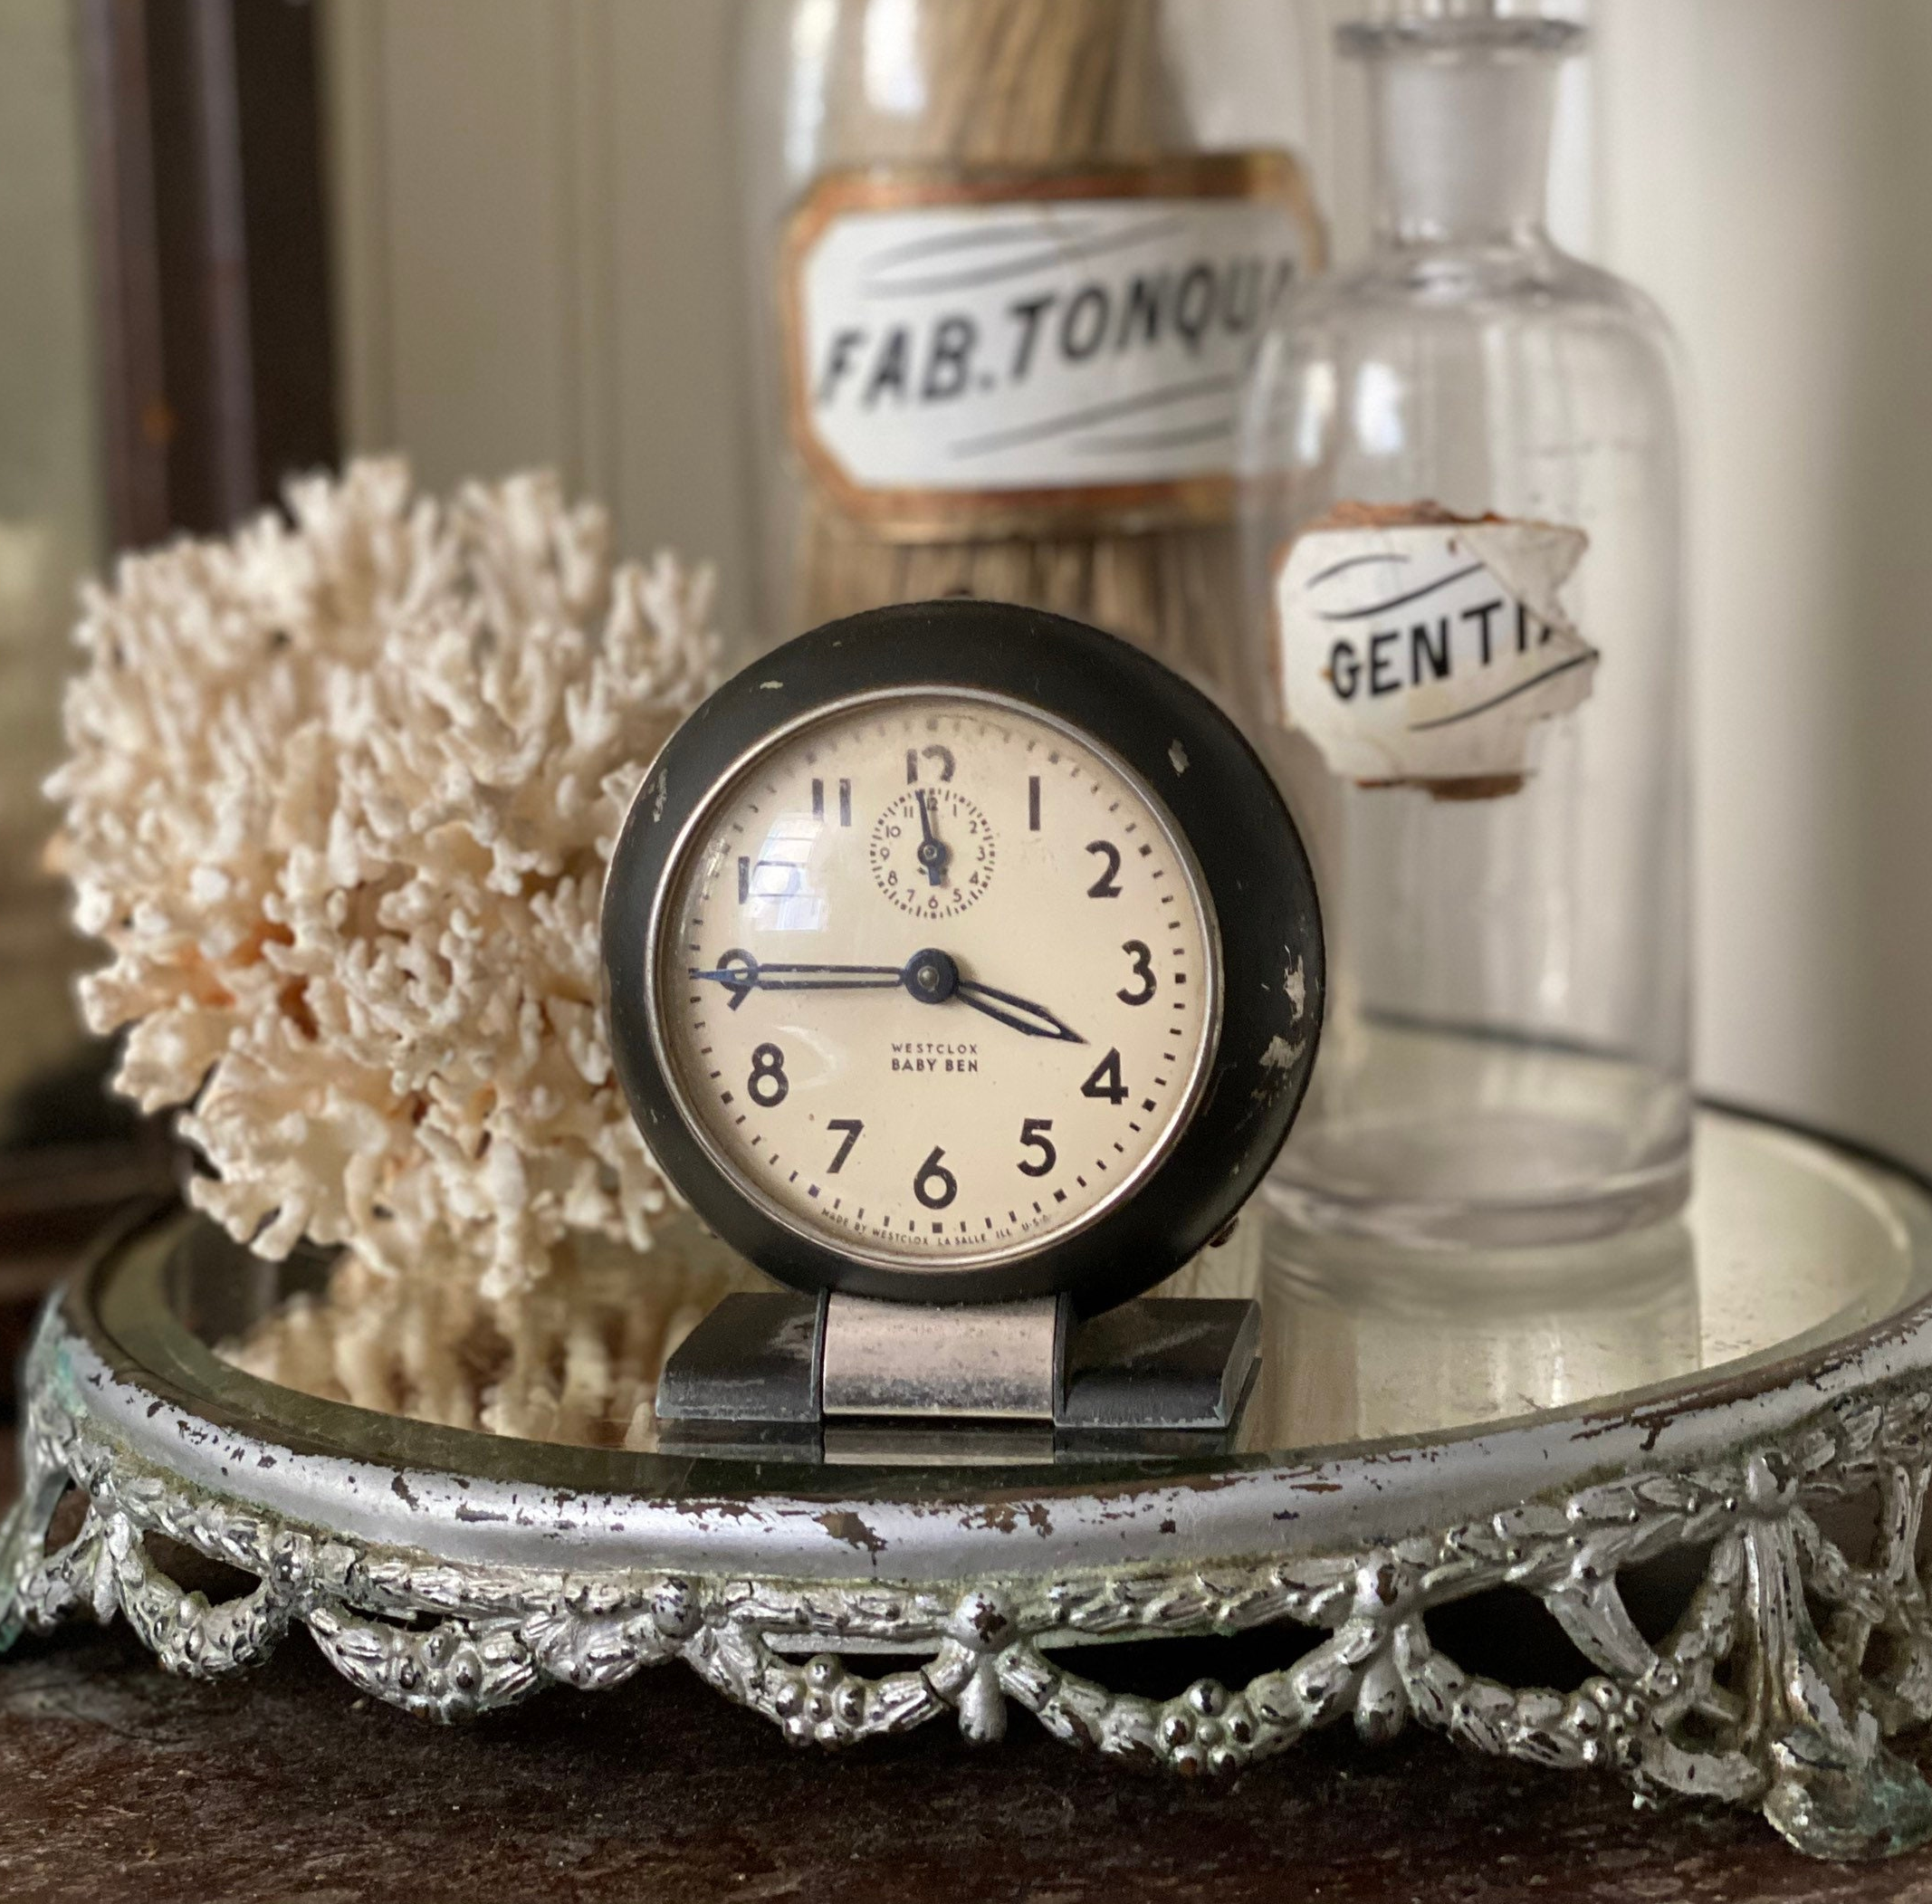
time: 3:44
